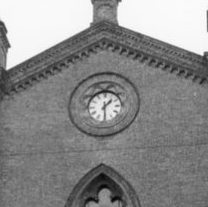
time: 1:28
